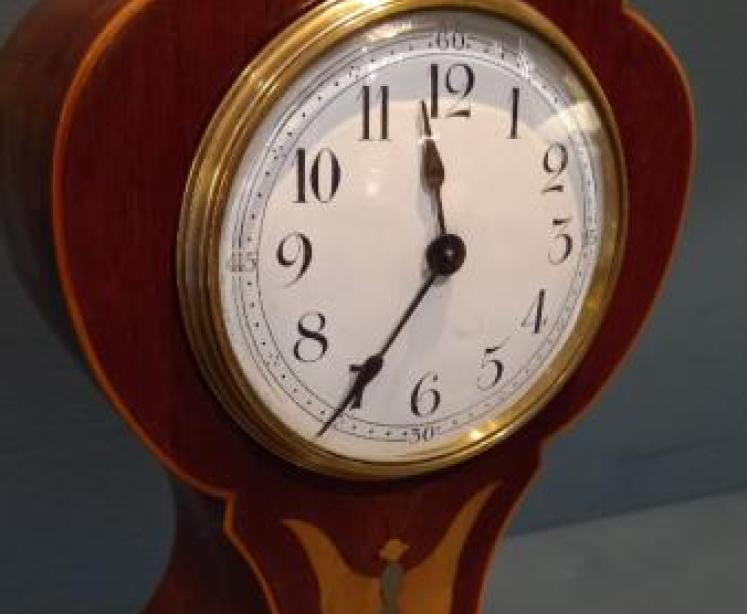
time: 11:35
